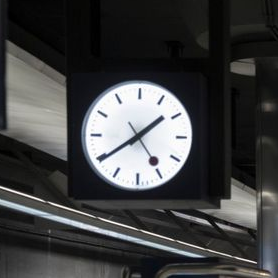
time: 1:39
